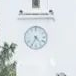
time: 4:34
